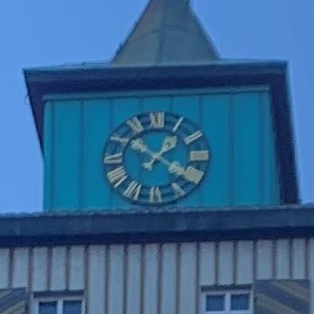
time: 1:20
